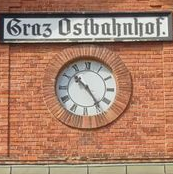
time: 10:24
